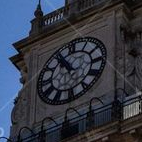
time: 10:55
